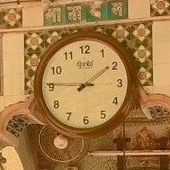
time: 9:09
